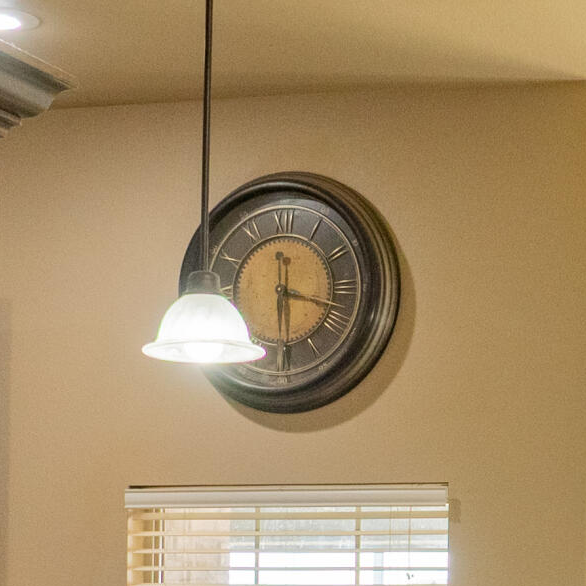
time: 3:29
